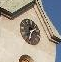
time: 1:32
